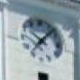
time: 10:07
